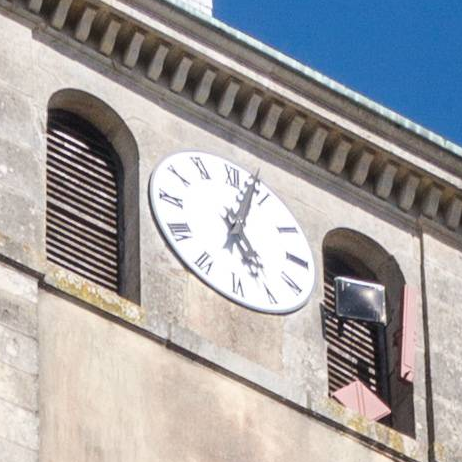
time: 5:03
